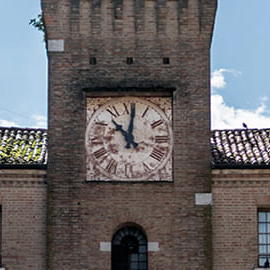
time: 11:01
